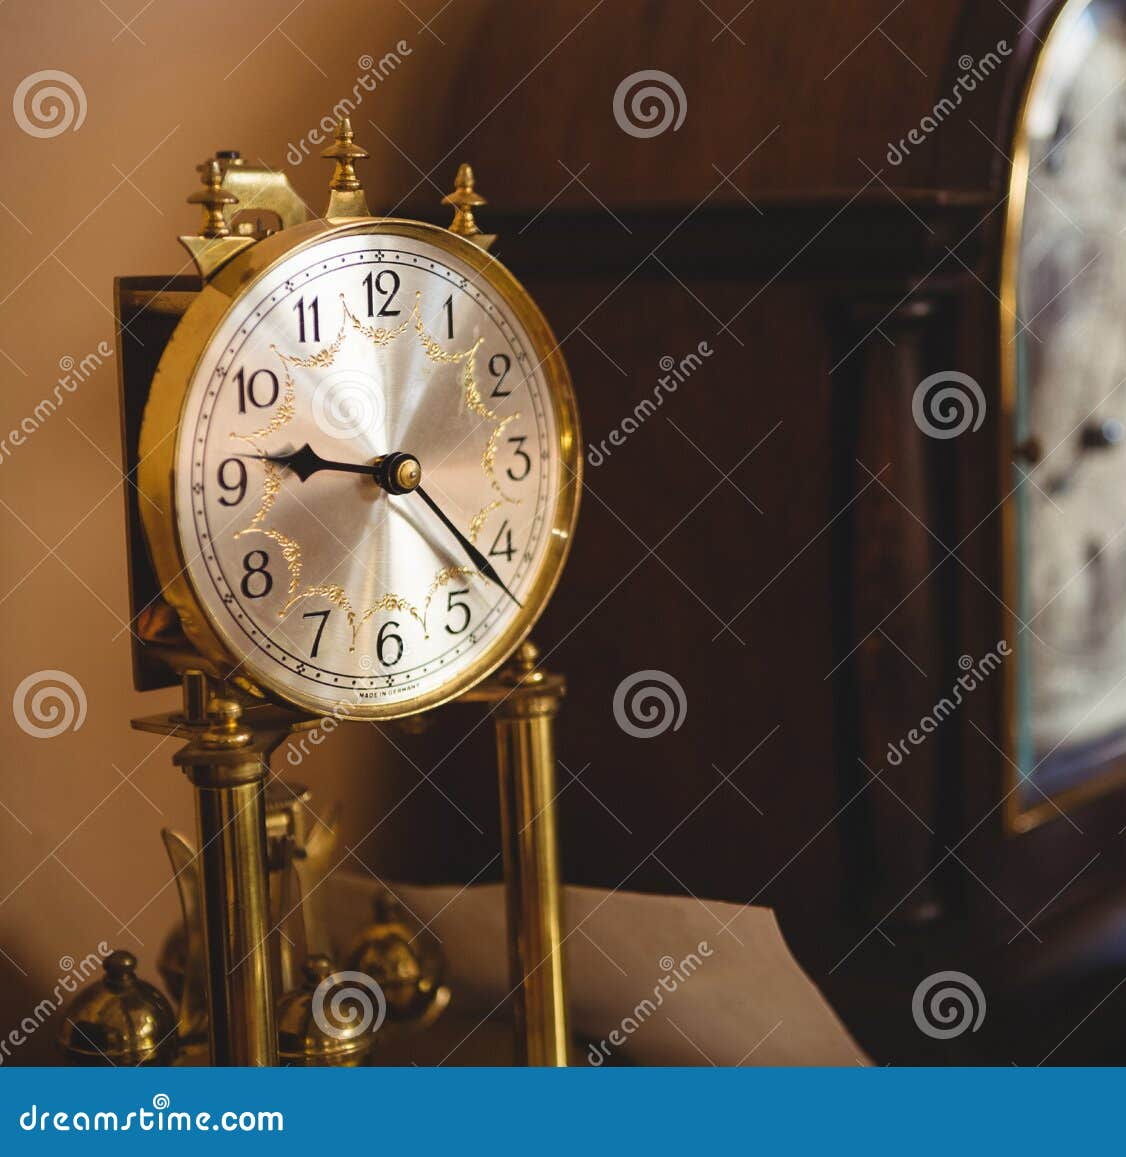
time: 9:22
